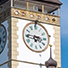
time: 6:45
